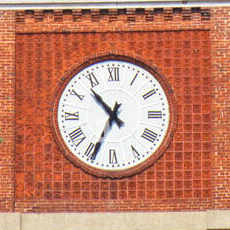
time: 10:34
